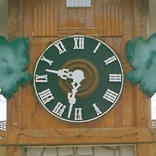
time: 9:32
